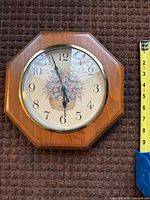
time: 5:56
